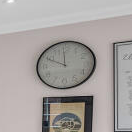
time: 11:49
